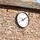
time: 8:09
